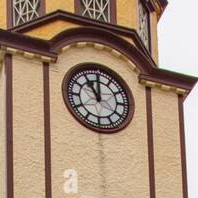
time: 10:59
